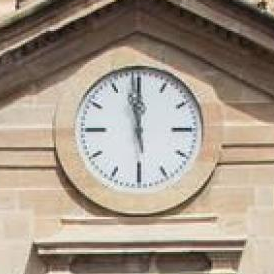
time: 11:59
